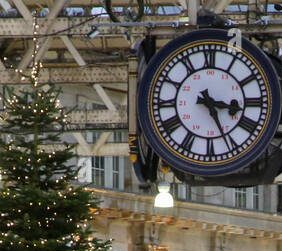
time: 3:26
